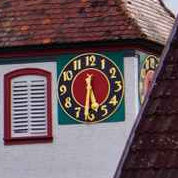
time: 5:31
